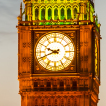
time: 9:42
